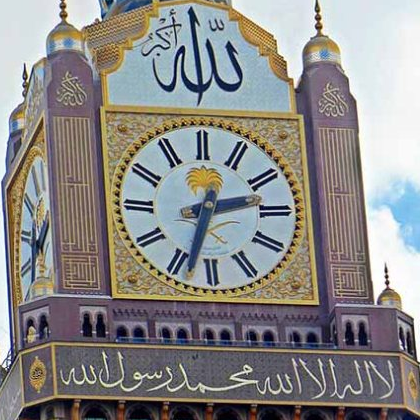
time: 2:33
